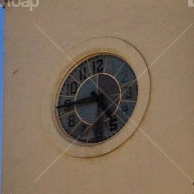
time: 4:44
